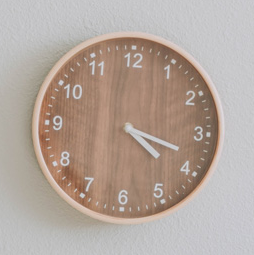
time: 4:18
